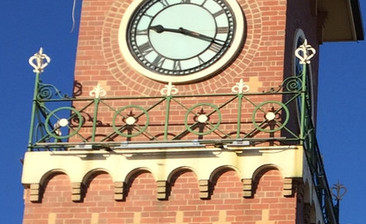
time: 9:18
